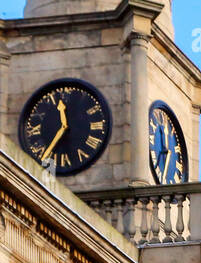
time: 11:36
